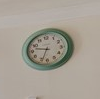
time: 9:33
